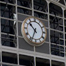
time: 10:34
